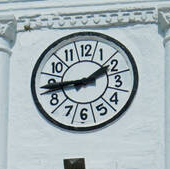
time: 1:43
